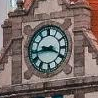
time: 3:43
